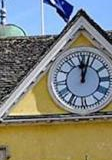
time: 12:03
